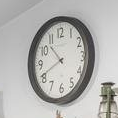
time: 10:40
